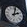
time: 2:02
